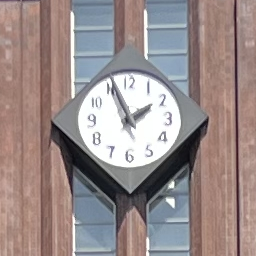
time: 1:56
